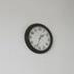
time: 1:33
